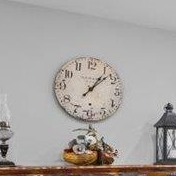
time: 1:07
